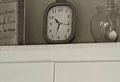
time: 10:16
